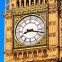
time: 8:17
